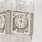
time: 12:13
